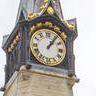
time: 1:06
